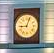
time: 9:03
